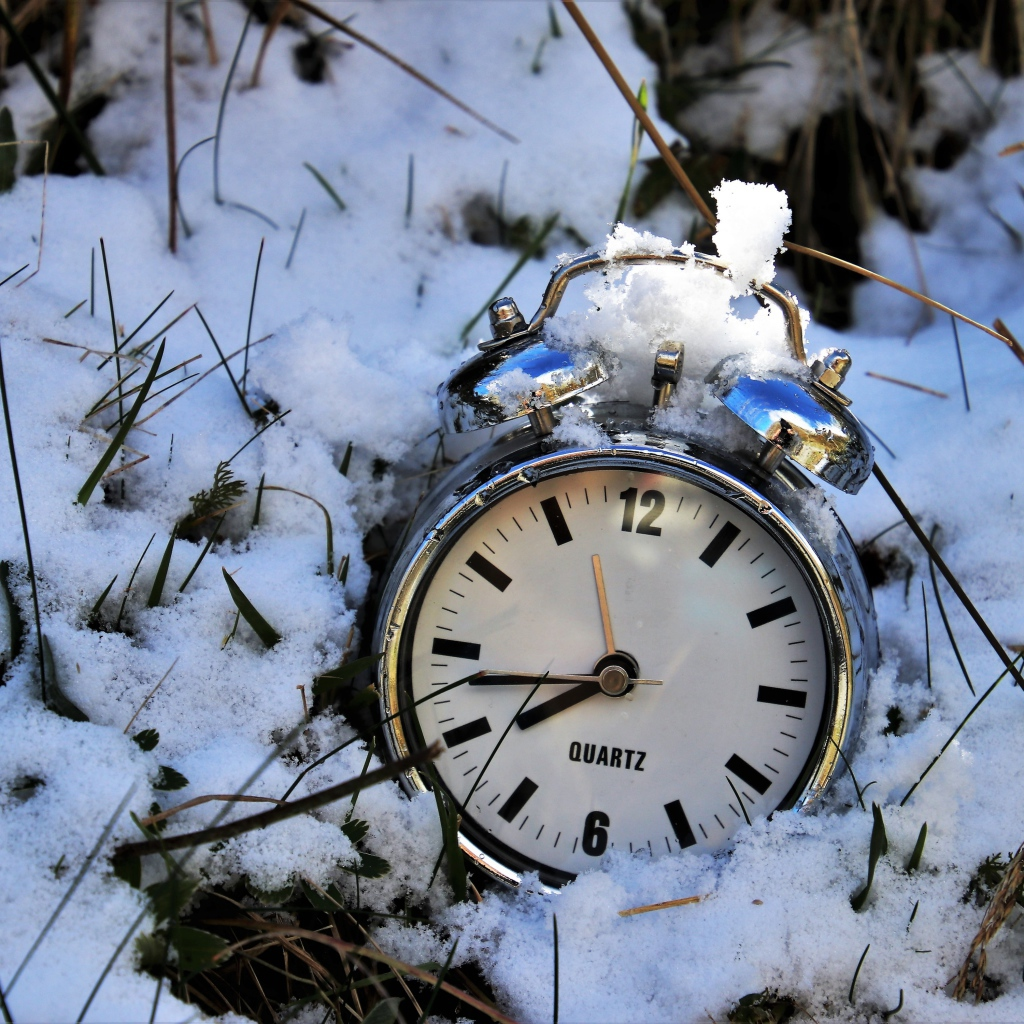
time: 7:43
